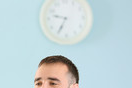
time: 9:34
